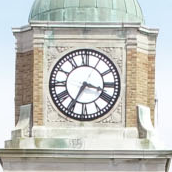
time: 3:34
